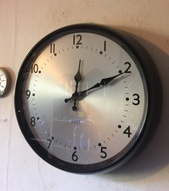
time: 12:10
